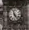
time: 4:57
